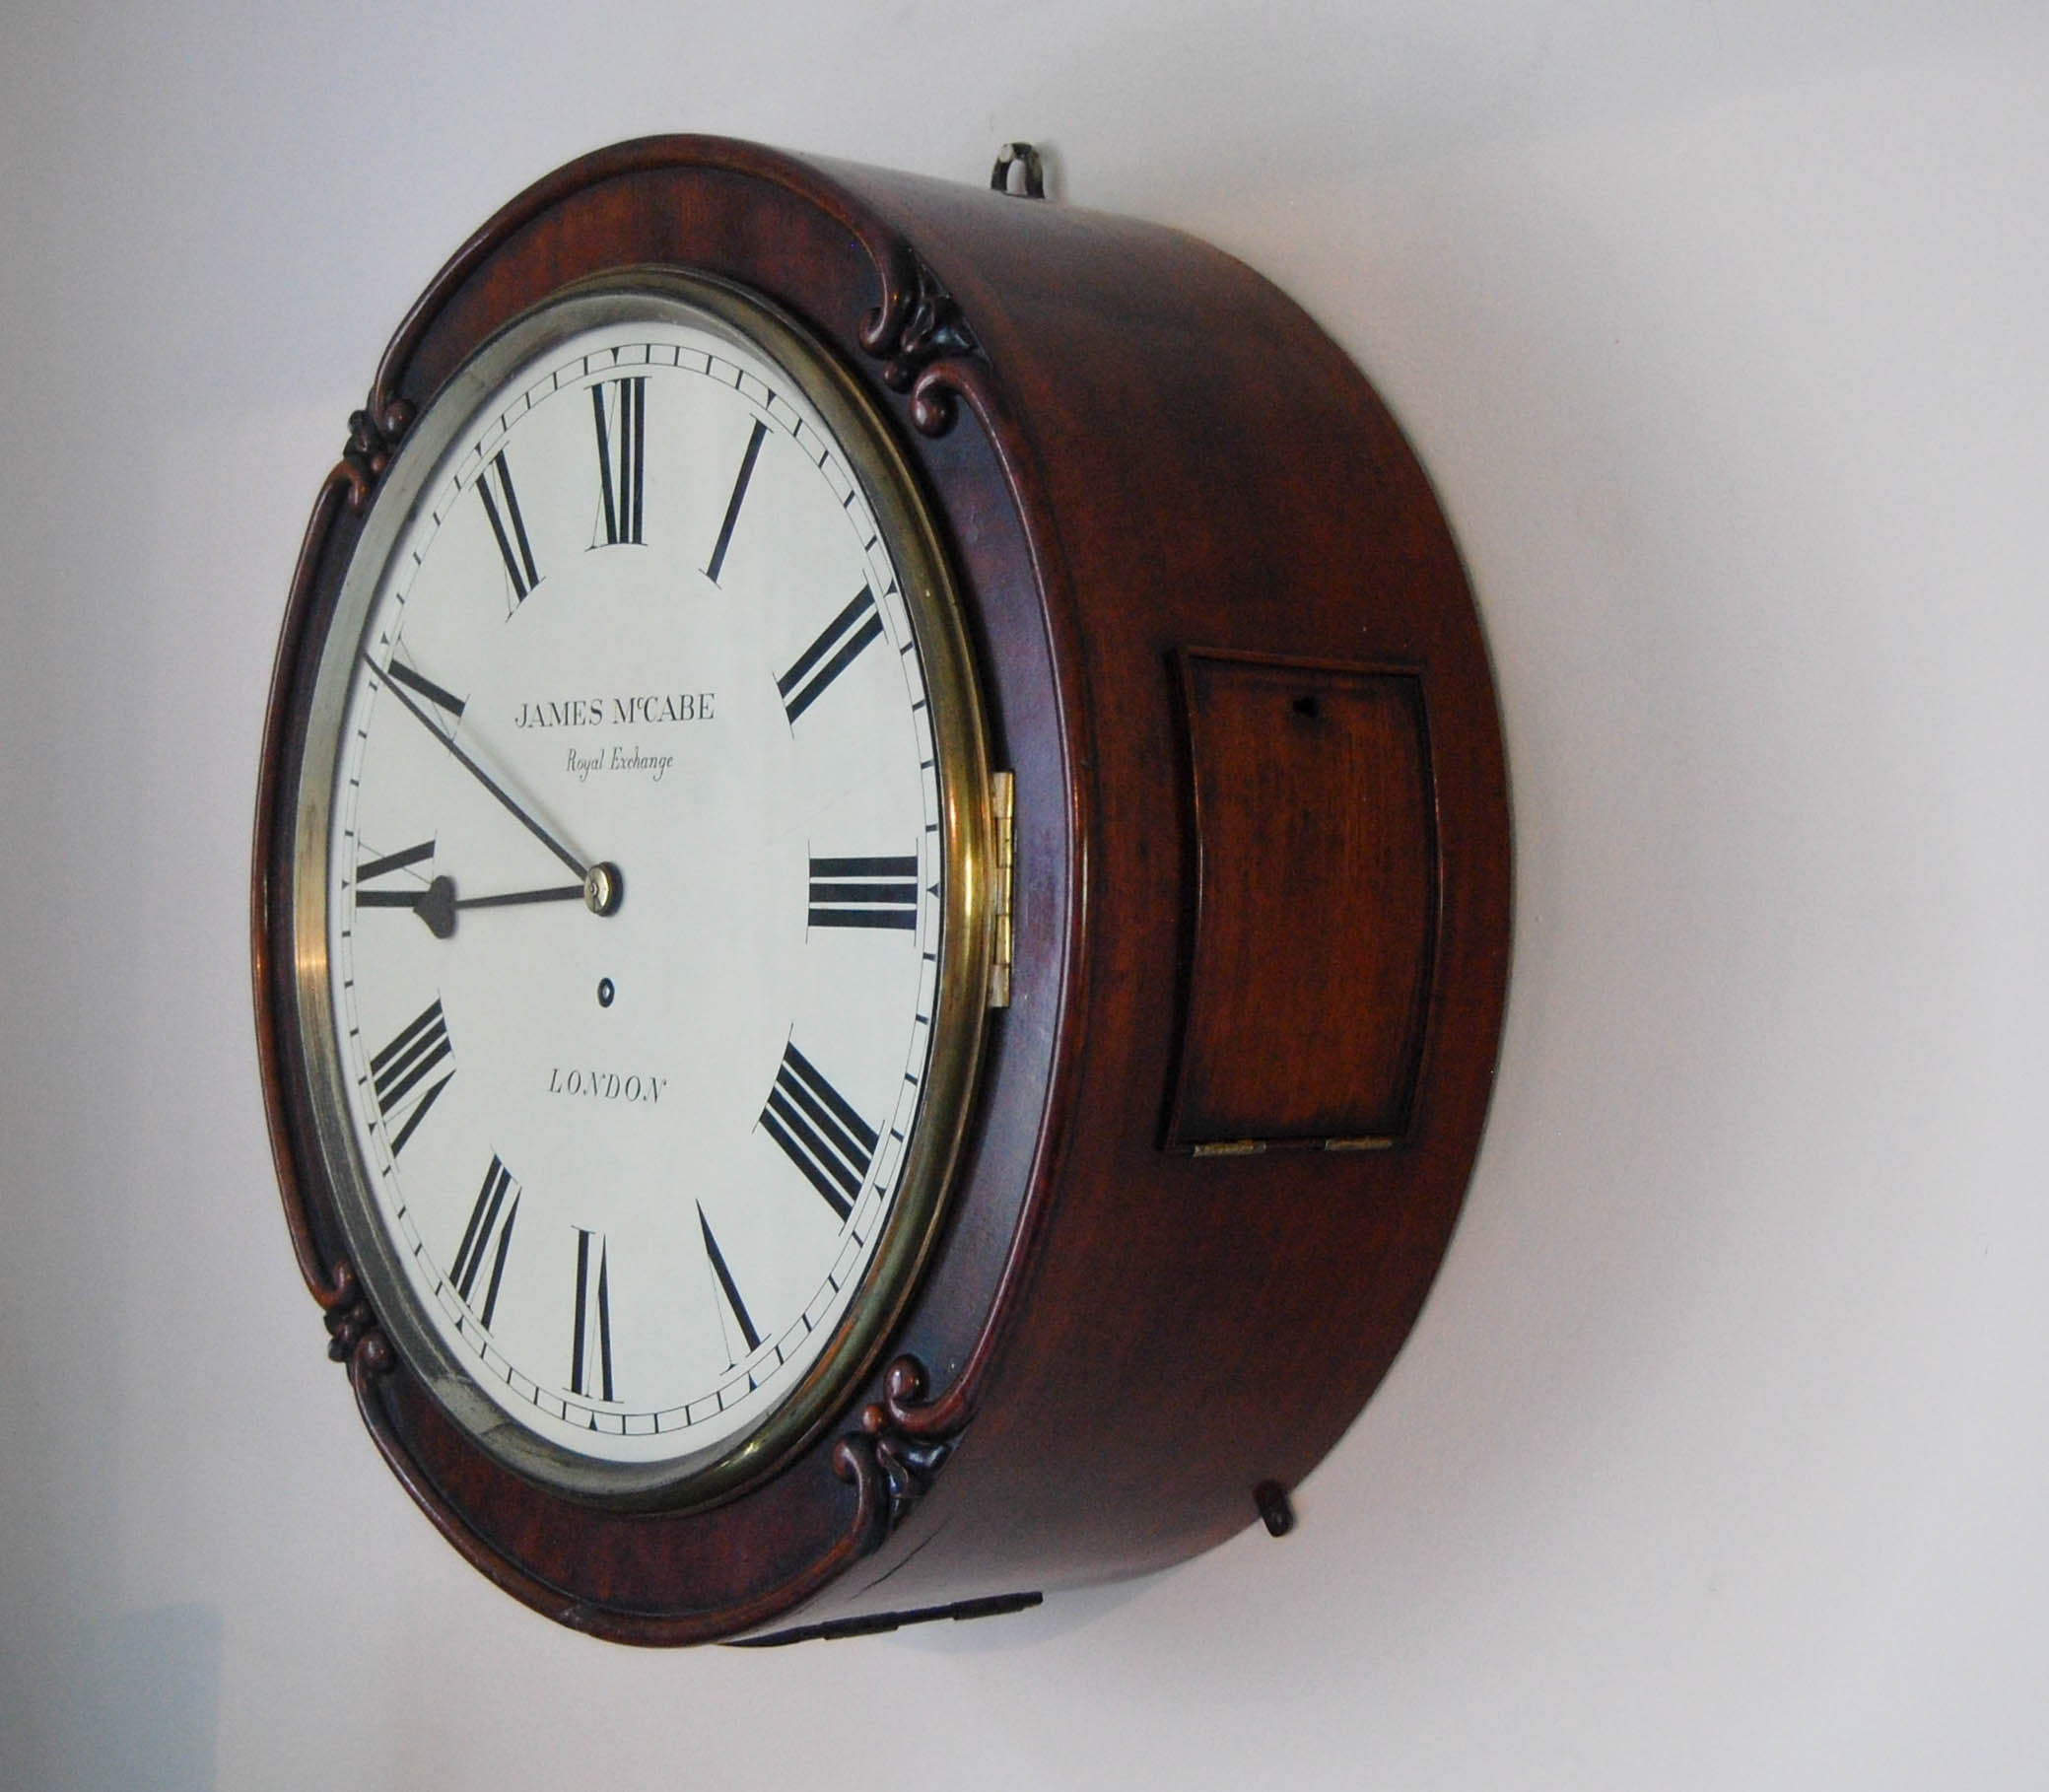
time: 8:49
